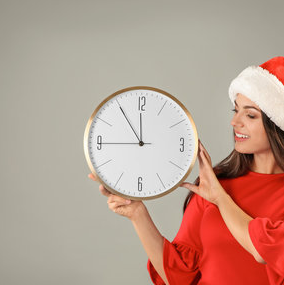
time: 11:54
